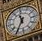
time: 11:35
